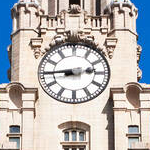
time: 2:44
